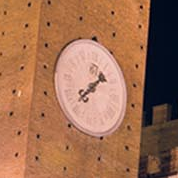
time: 1:38
